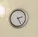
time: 2:25
